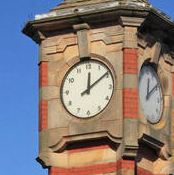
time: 12:09
